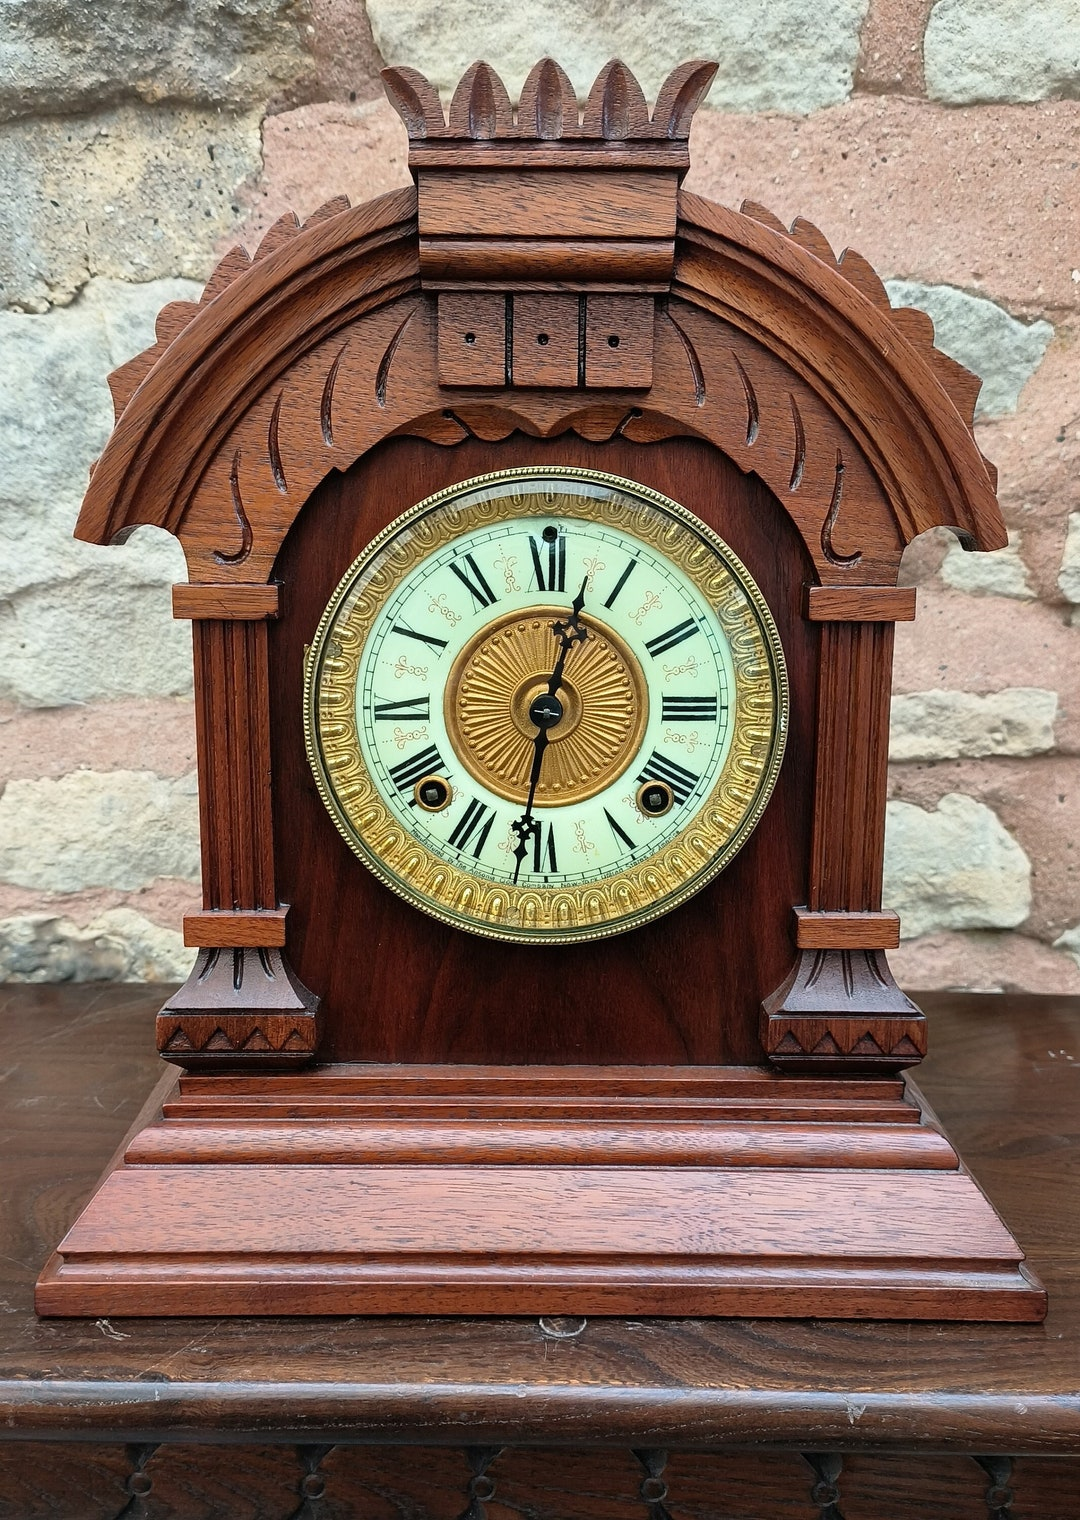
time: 12:31
